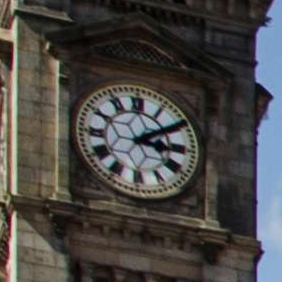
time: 3:09
